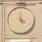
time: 3:58
